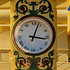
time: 3:03
